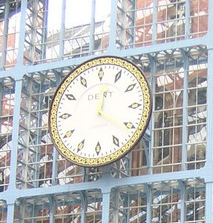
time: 12:20
